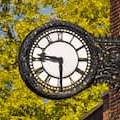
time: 5:46
